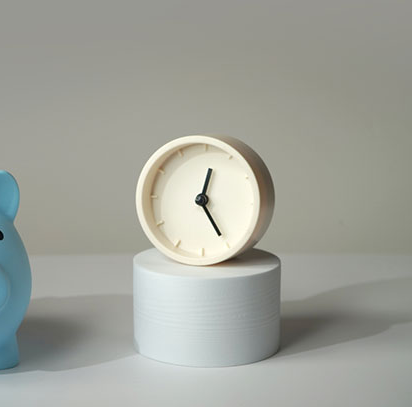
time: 12:24
